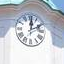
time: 12:10
